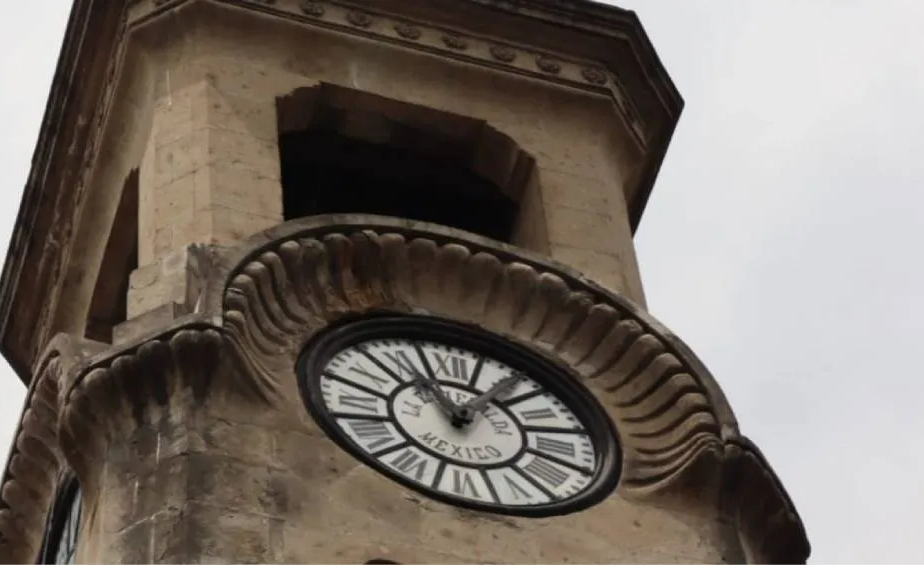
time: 11:07
